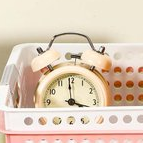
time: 3:59
